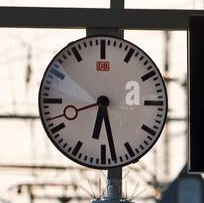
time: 6:28
